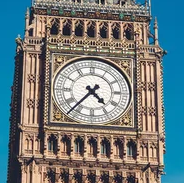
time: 4:37
